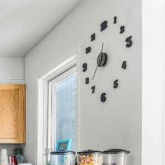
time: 7:37
